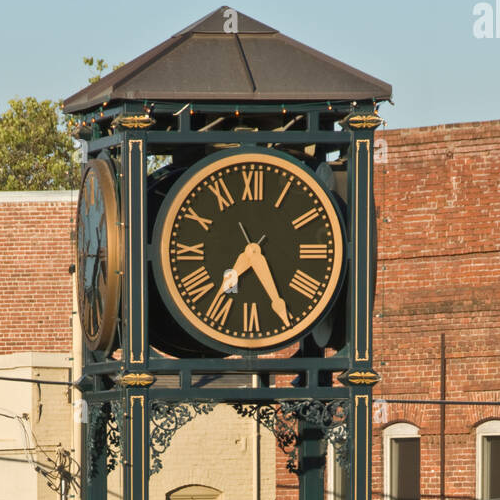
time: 7:25
